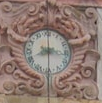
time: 8:16
